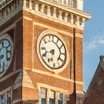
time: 6:41
